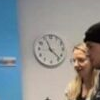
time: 11:22
